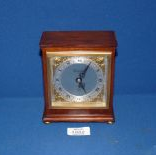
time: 5:05
